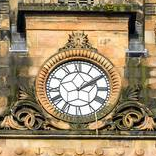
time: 2:09
